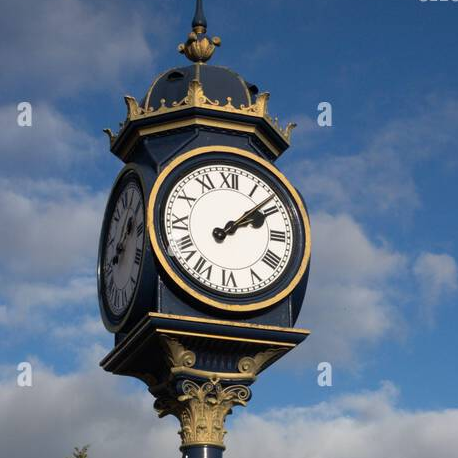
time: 2:08
